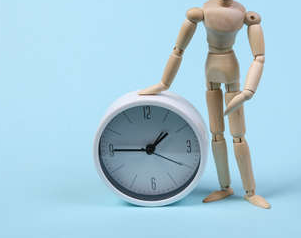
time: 1:45
